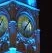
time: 7:07
